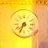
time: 7:34
